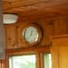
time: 12:37
